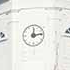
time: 12:13
